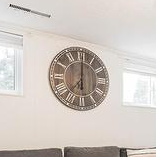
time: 6:00
